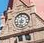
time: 8:32
